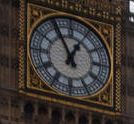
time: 12:55
